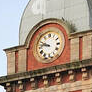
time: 9:45
